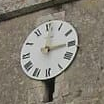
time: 3:01
